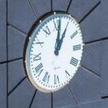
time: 1:01
